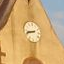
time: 8:42
